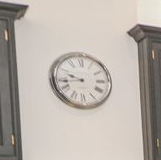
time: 9:43
